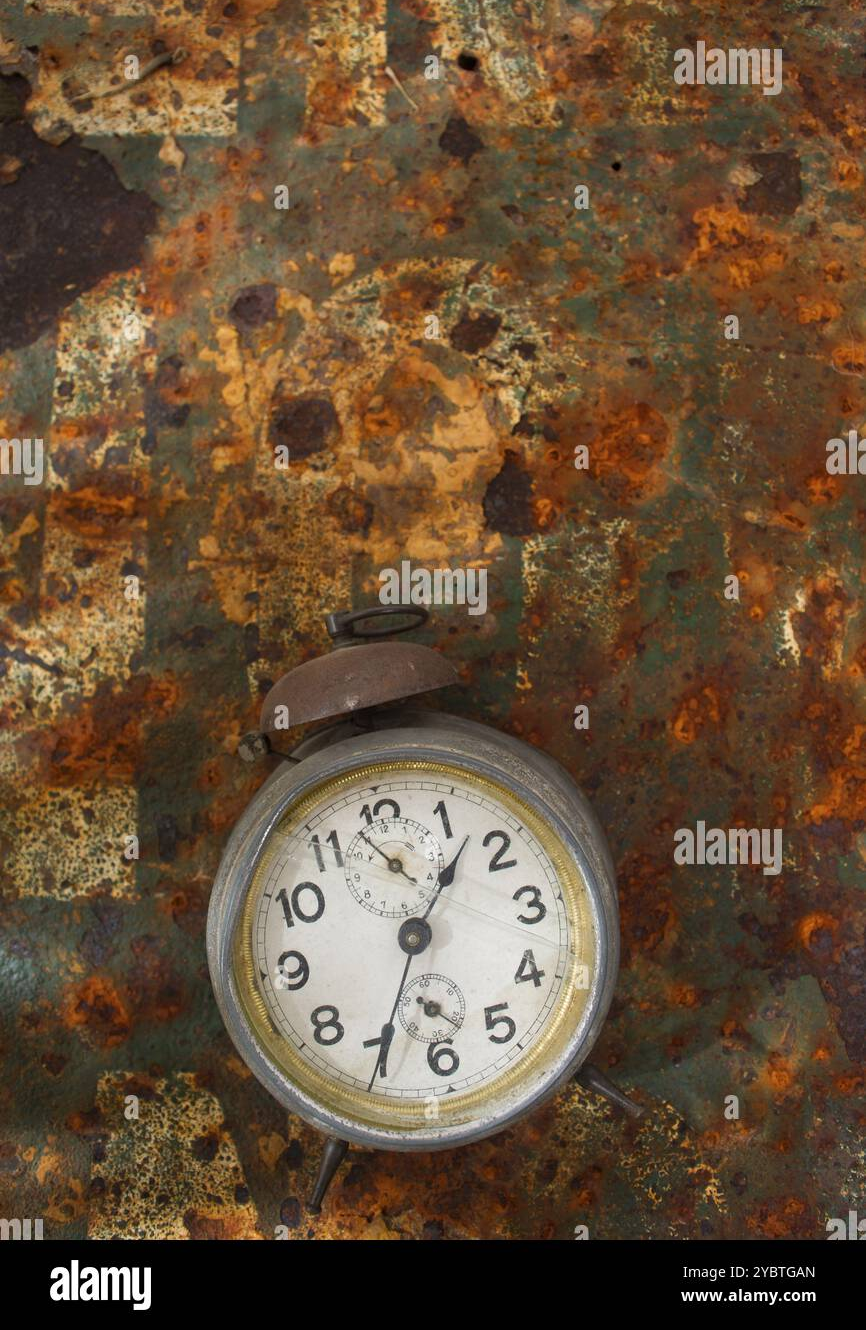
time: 1:34
